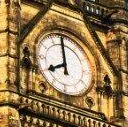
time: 7:59
